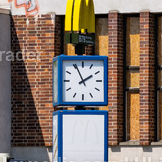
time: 1:55
